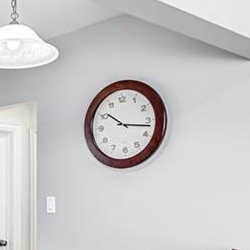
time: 10:17
